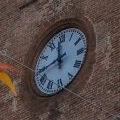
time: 11:43
